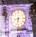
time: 8:32
